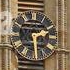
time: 2:29
